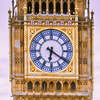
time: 6:20
